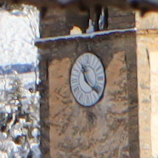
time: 11:21
